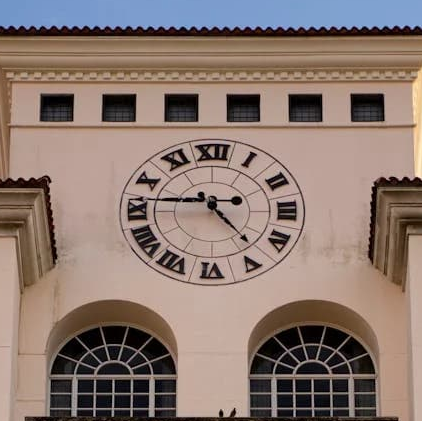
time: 4:45
